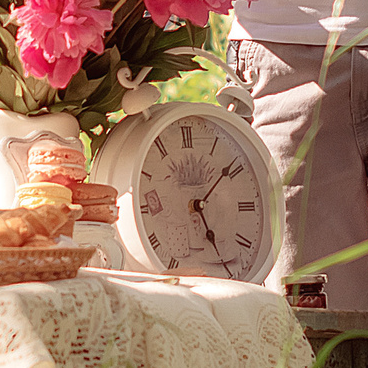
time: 5:08
